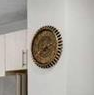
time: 8:11
